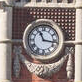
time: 11:16
